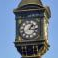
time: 1:16
